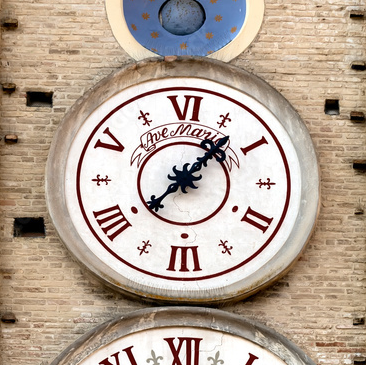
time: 1:38
